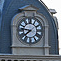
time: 7:46
